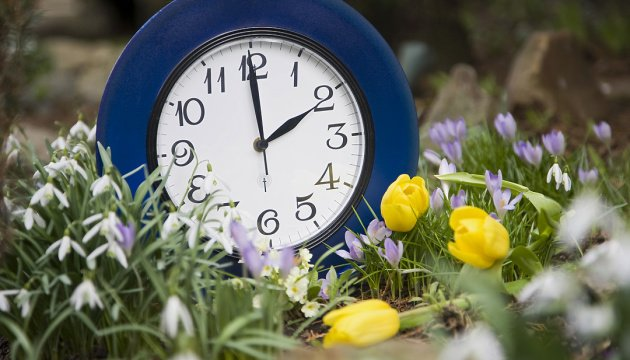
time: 1:59
